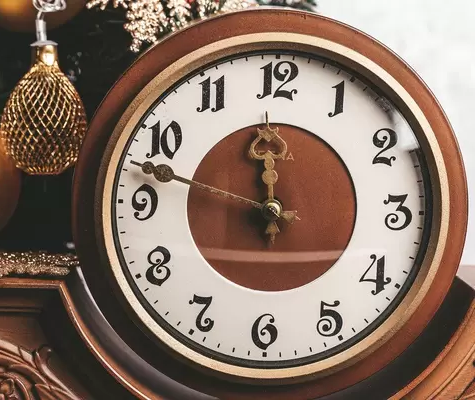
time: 11:47
